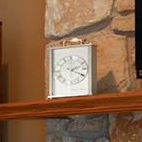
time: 2:19
